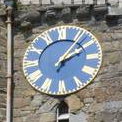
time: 2:06
